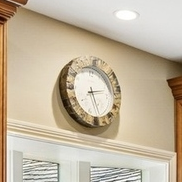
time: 2:27
